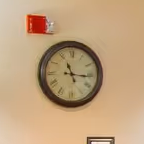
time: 11:15
